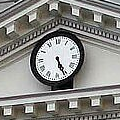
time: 5:26
